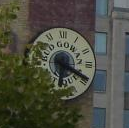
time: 6:18
